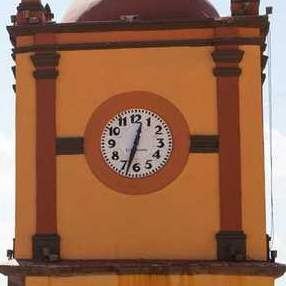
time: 12:32
